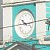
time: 10:14
